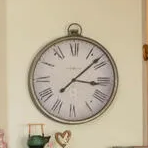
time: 3:07
